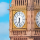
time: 6:28
